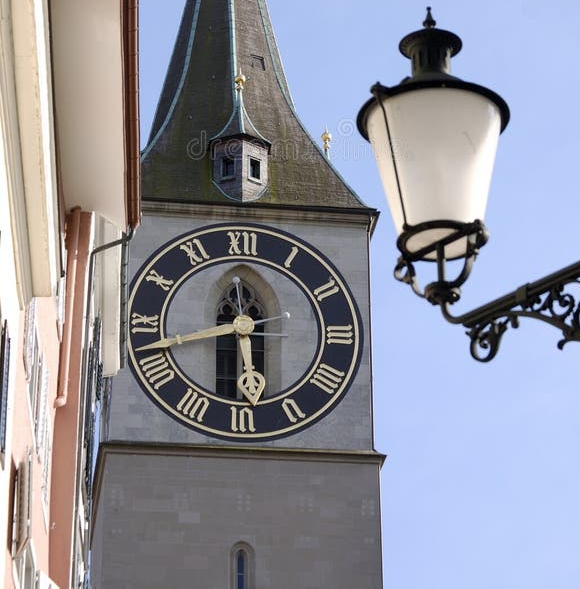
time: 5:42
